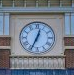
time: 12:34
